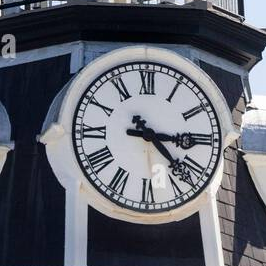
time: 4:14
